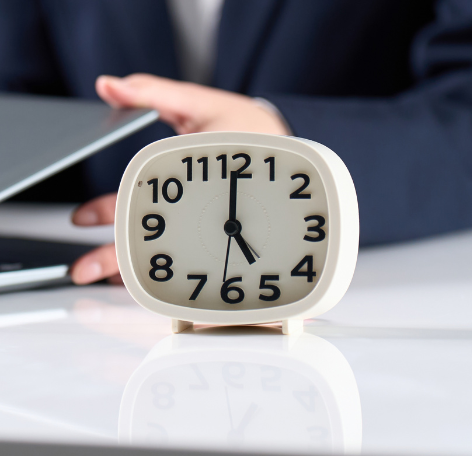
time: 5:00
